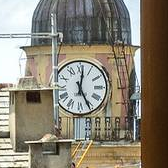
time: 5:01
